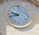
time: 9:42
